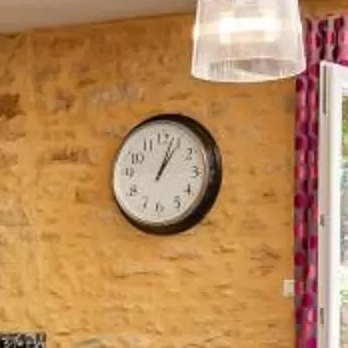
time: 1:03
